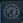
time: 5:36
